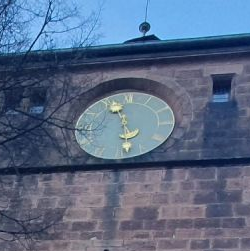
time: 11:28
